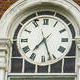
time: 7:26
